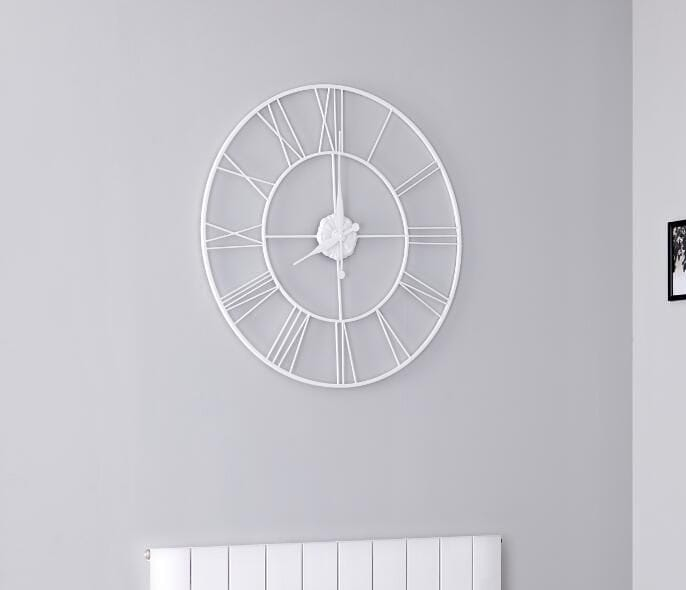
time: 12:00
